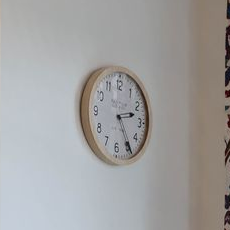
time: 2:24
